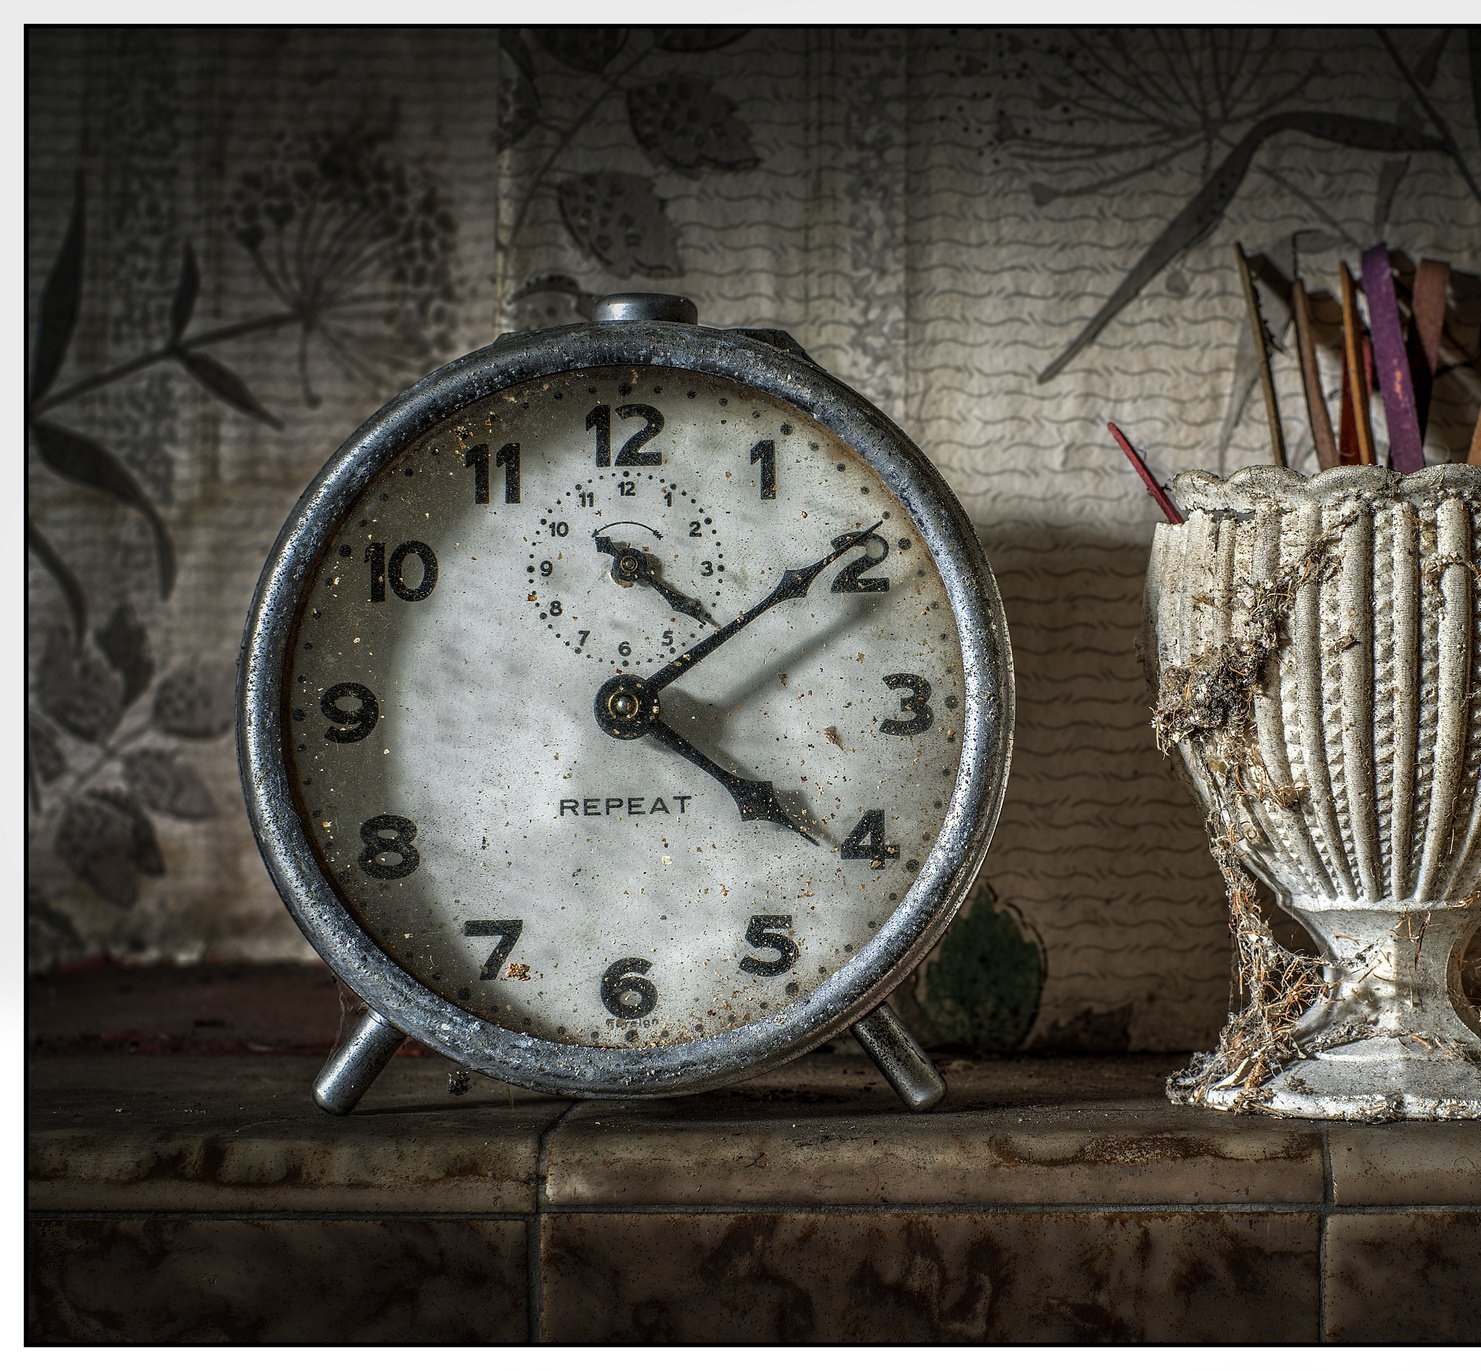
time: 4:09
